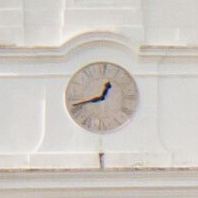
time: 12:42
